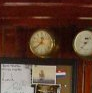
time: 12:38
